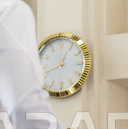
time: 12:42
